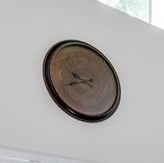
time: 9:42
